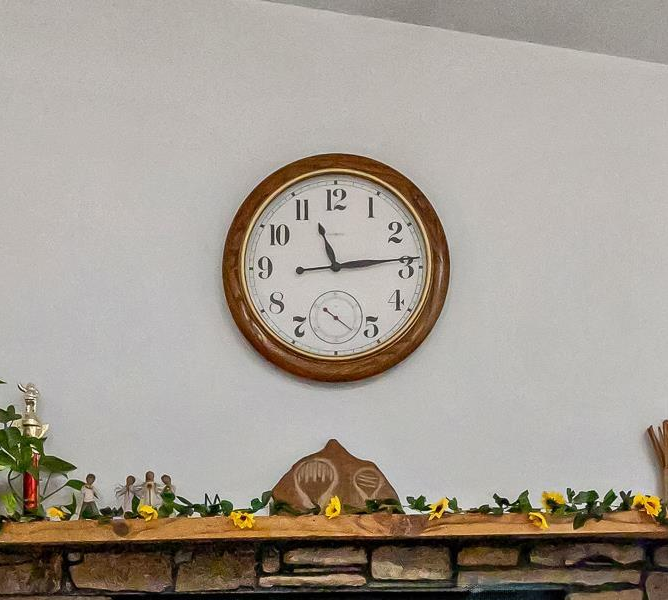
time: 11:13
